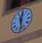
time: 12:28
